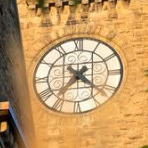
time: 7:22
